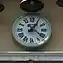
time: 1:21
